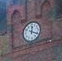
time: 12:19
